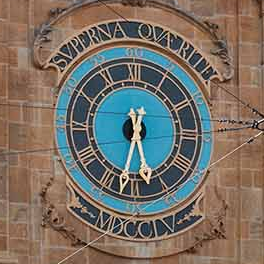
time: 5:32
